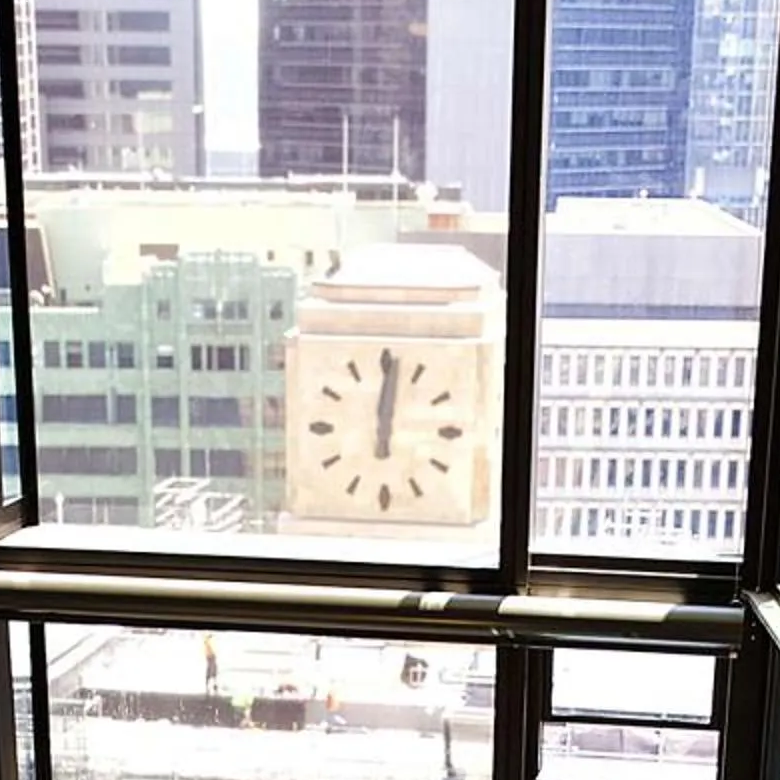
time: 12:01
